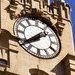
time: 1:39
